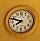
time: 7:47
